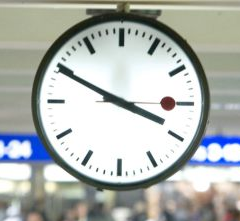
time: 3:49
